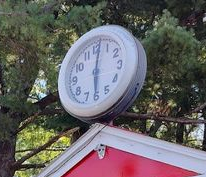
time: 6:01
